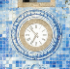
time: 6:53
